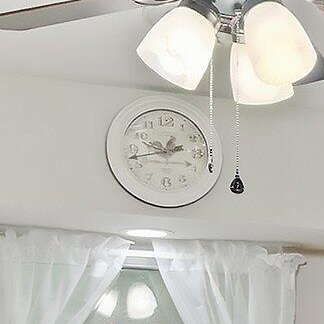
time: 9:42
